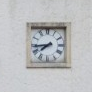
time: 7:43
